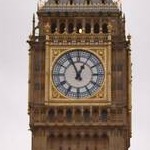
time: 12:56
